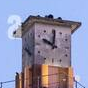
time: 10:00
